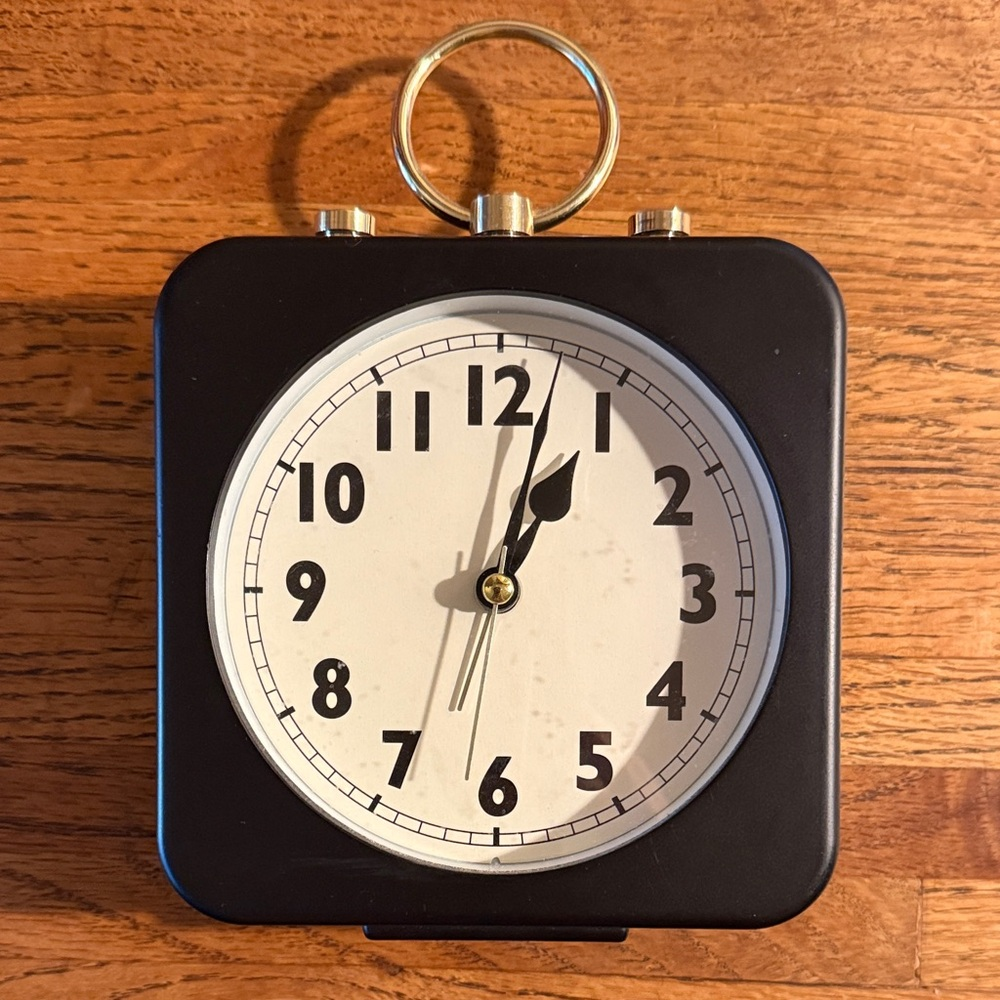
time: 1:02
